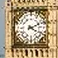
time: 4:11
